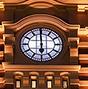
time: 5:59
